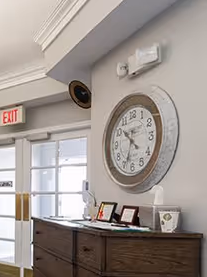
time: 10:33
